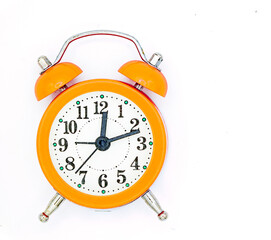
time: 12:11
